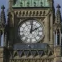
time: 2:01
